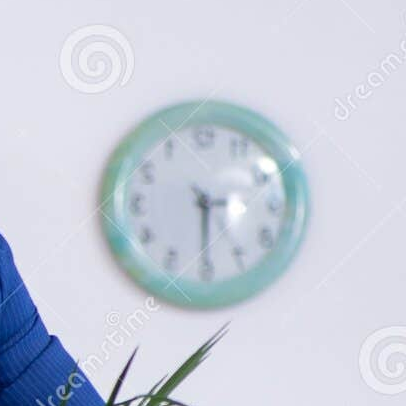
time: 3:29
